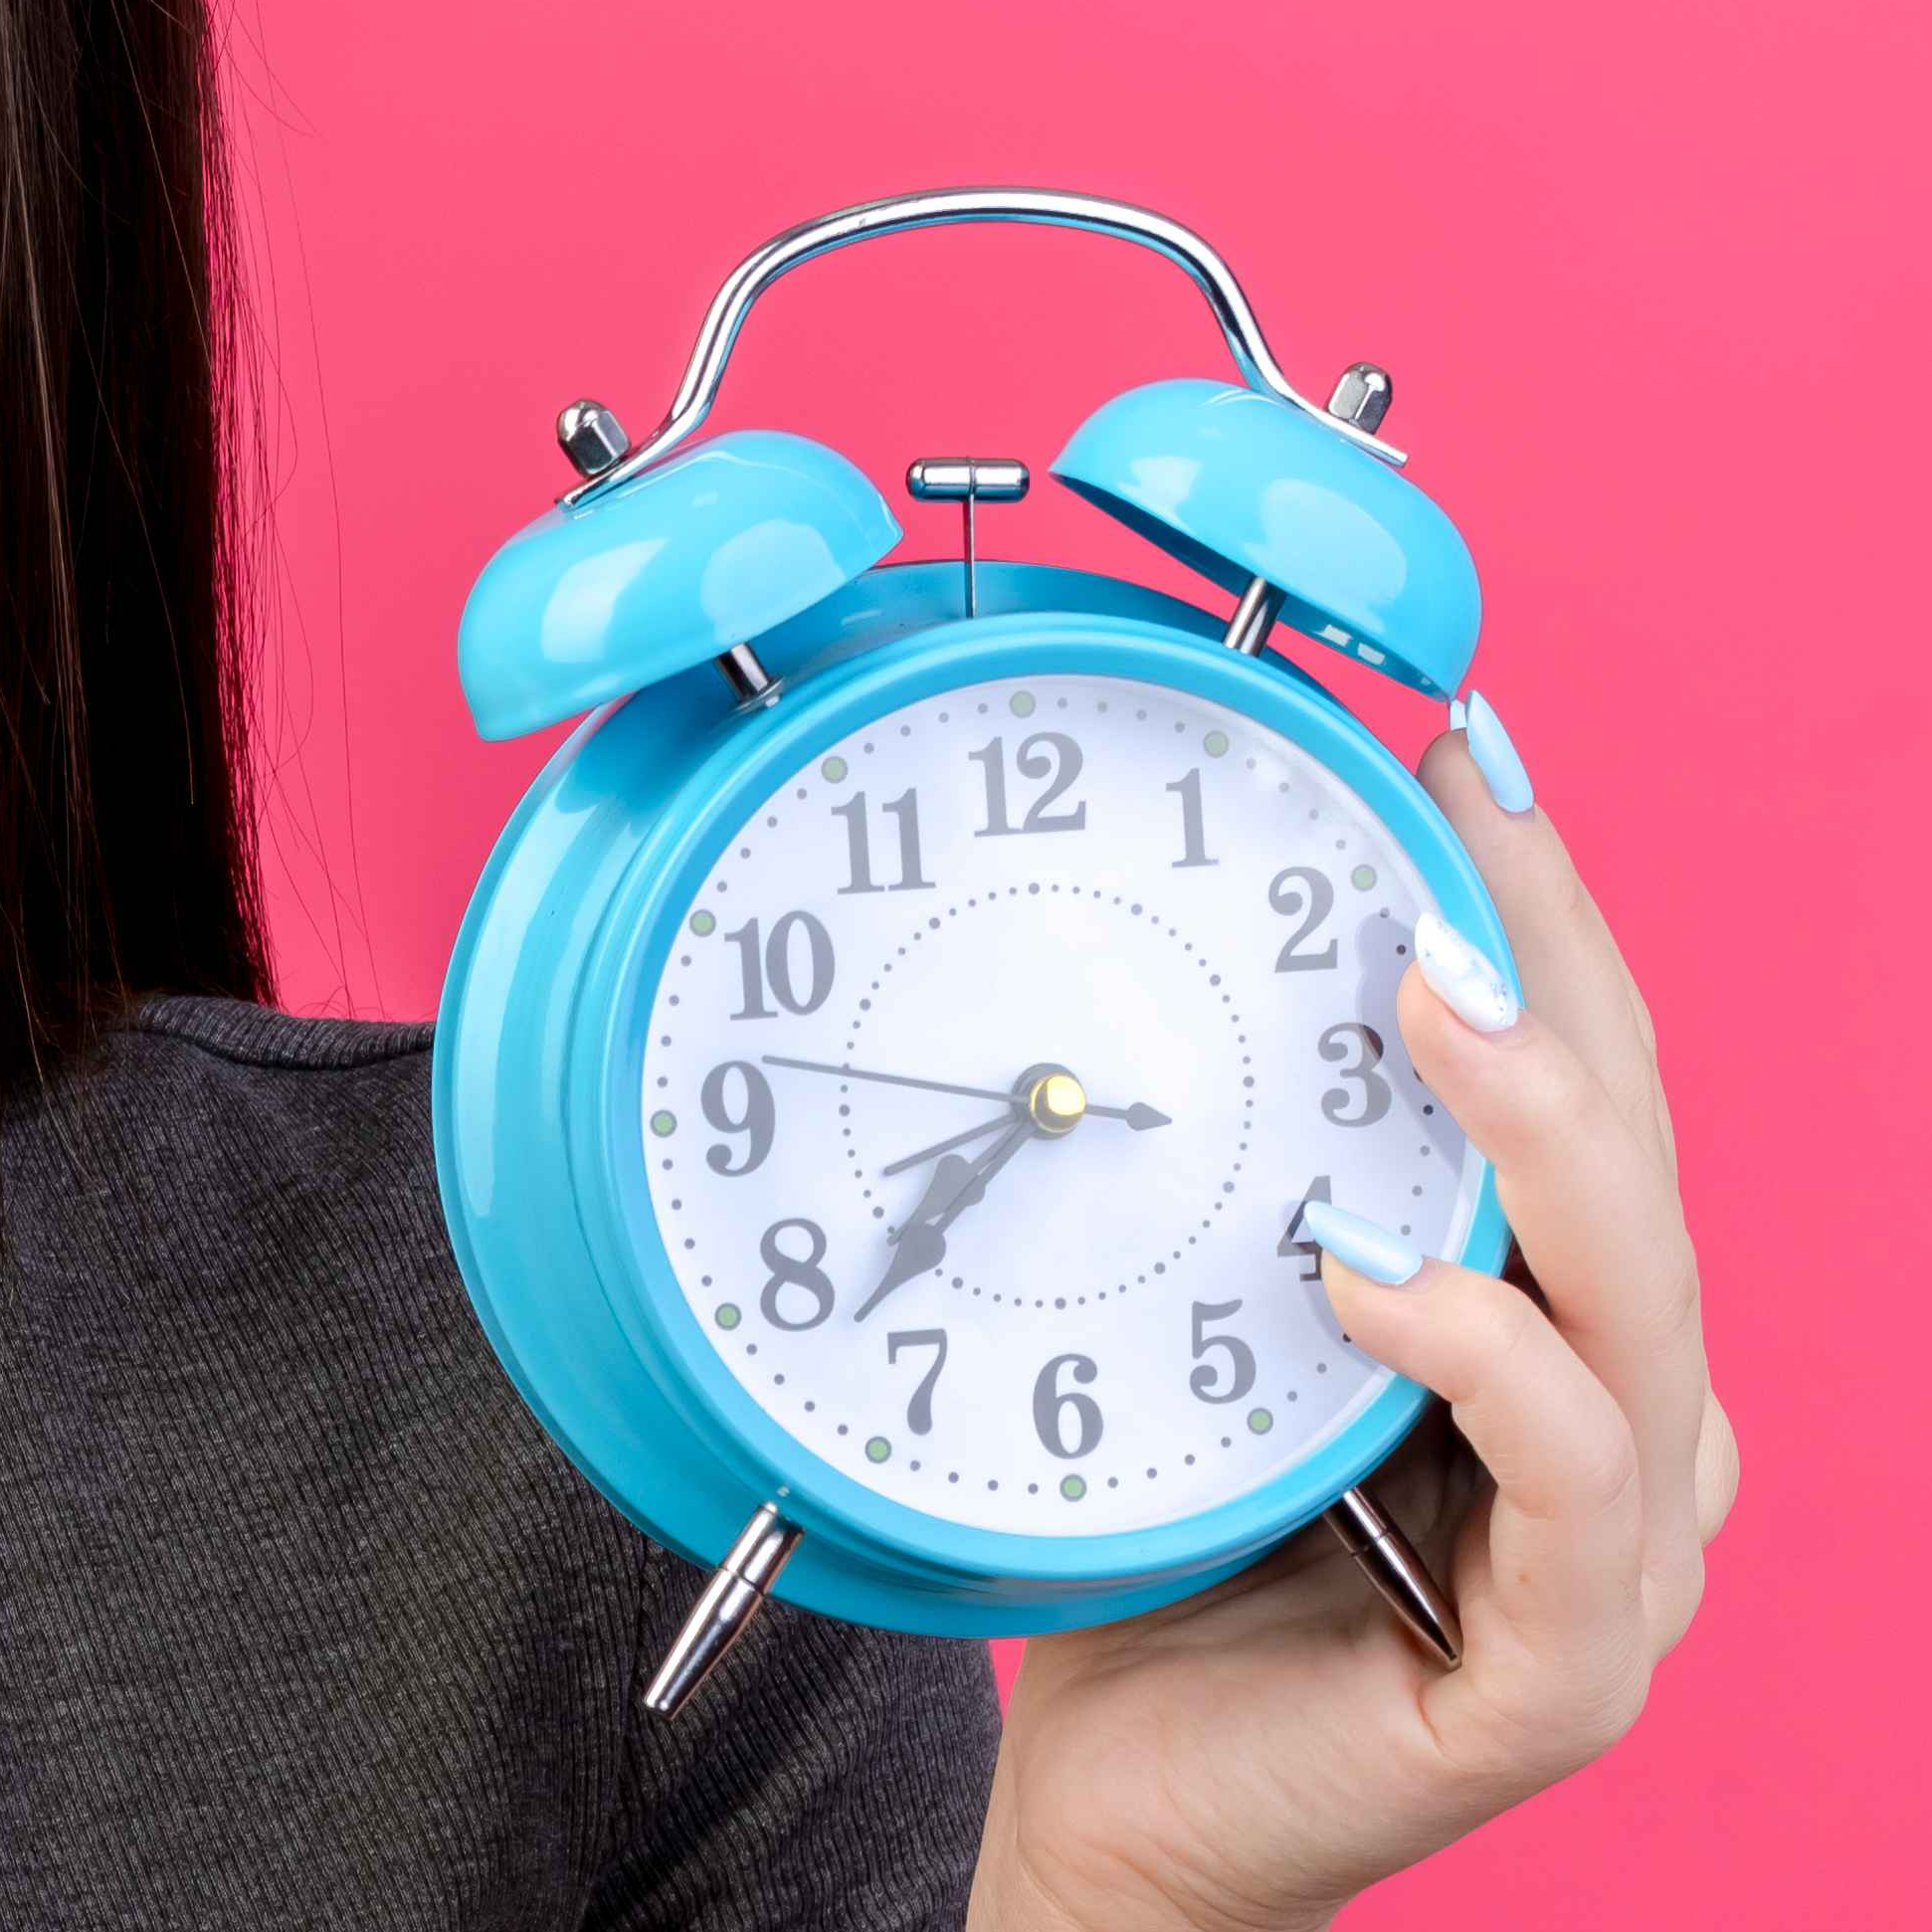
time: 7:37
